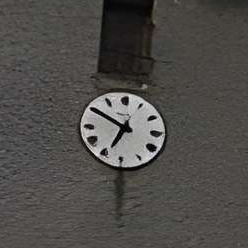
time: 6:50
